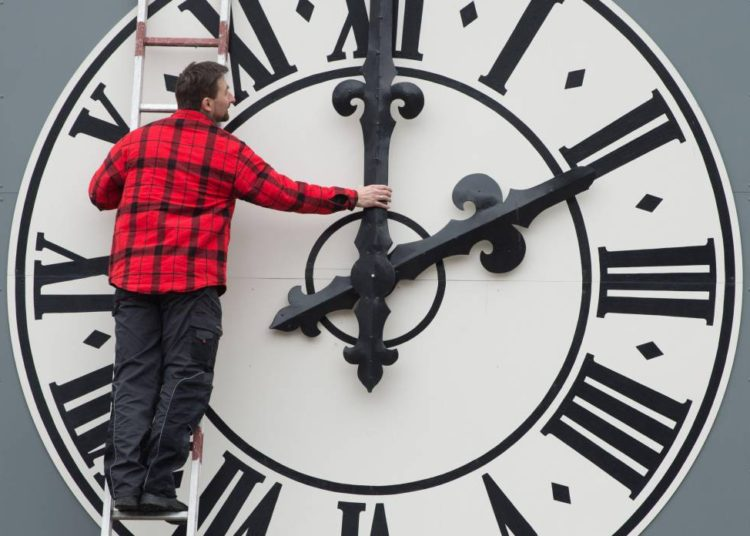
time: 6:10
